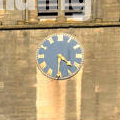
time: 4:30
